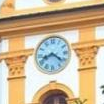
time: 8:21
